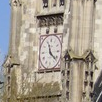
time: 11:21
